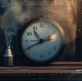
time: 10:41
